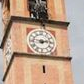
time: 2:46
